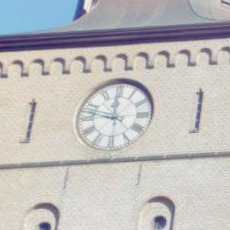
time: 11:47
